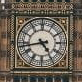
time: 4:43
